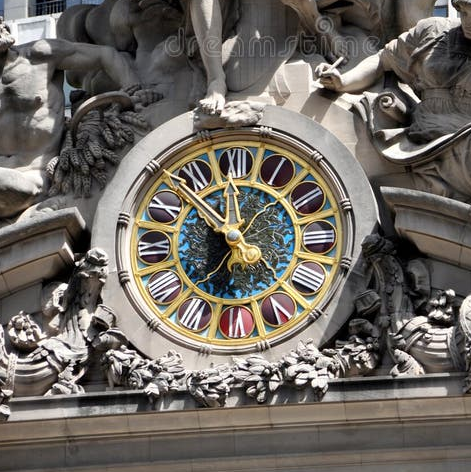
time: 11:52
